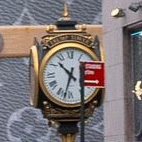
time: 10:32
